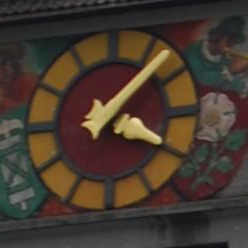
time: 4:07
